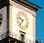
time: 9:36
